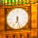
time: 6:27
